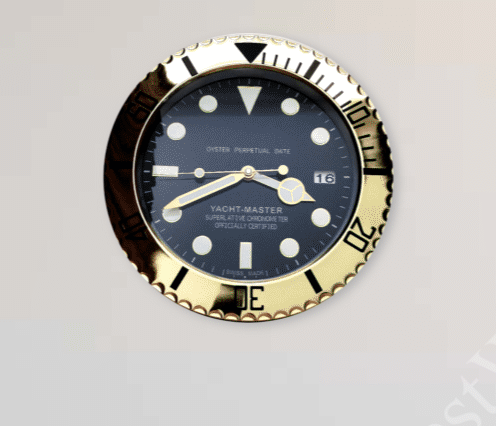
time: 3:40
